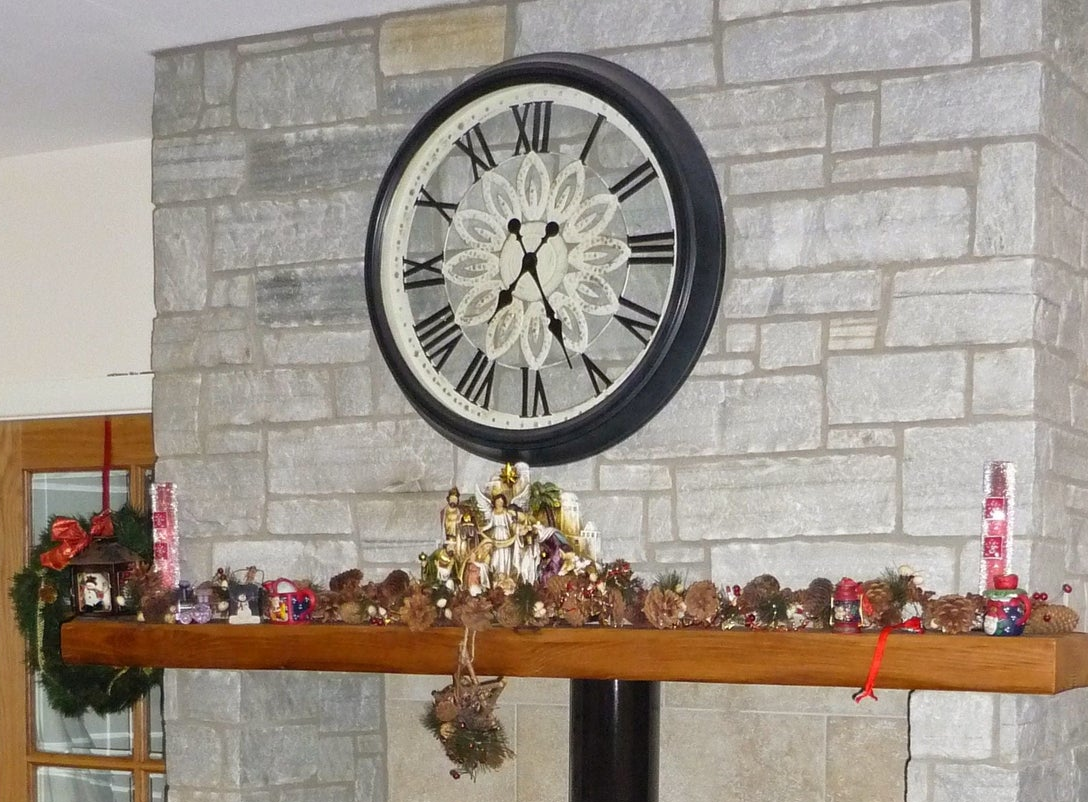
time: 7:25
